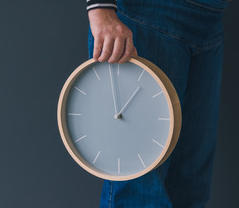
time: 12:58
